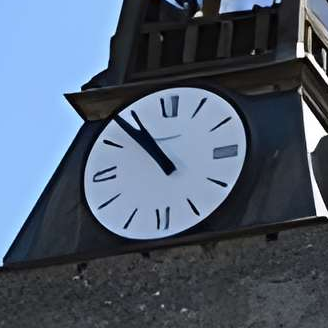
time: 10:53
